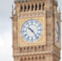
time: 10:23
